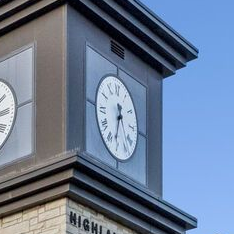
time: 11:32
